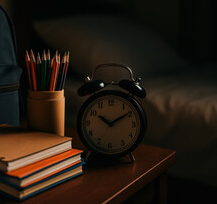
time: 10:09
